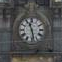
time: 11:28
